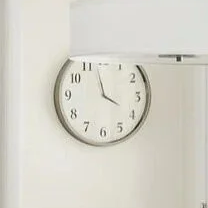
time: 3:58
